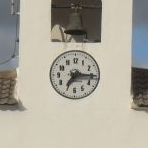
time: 7:15
